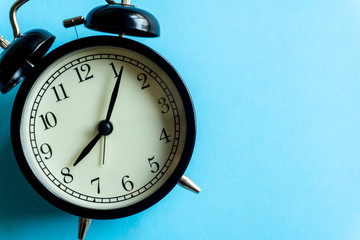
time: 8:06
